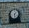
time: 1:28
